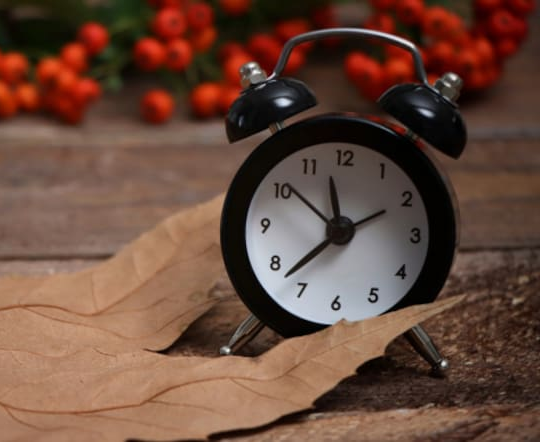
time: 11:37
